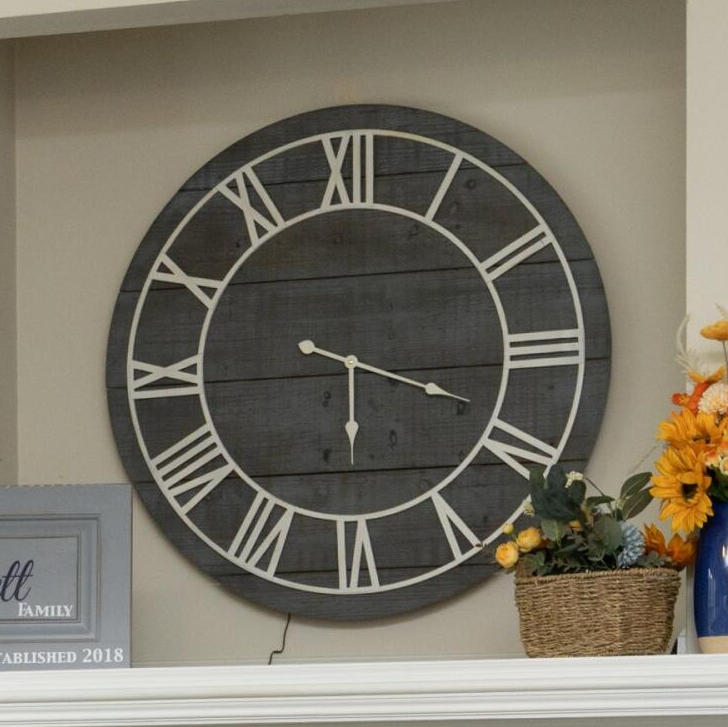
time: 6:18
